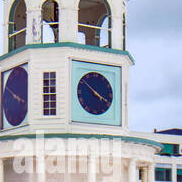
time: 3:51
